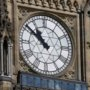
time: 10:51
